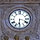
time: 6:18
